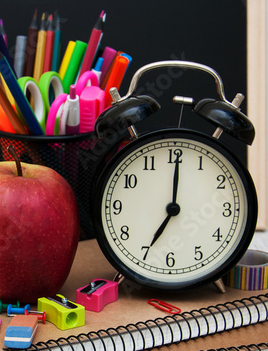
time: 7:00
